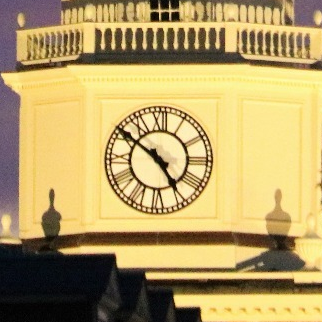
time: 4:50
